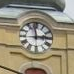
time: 2:58
